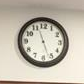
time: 11:26
